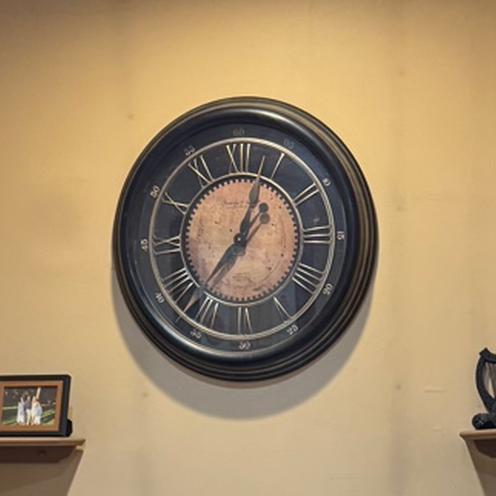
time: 12:36
